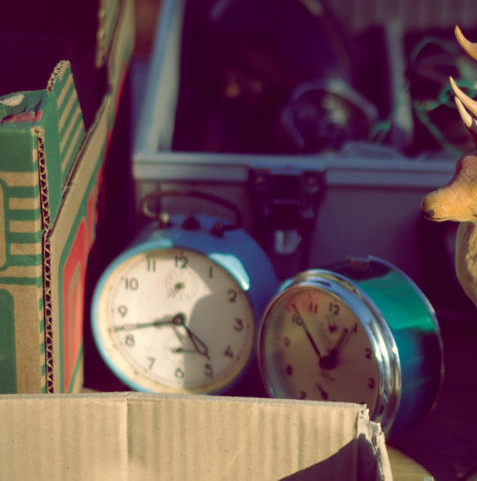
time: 4:42
